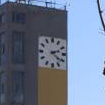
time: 2:21
